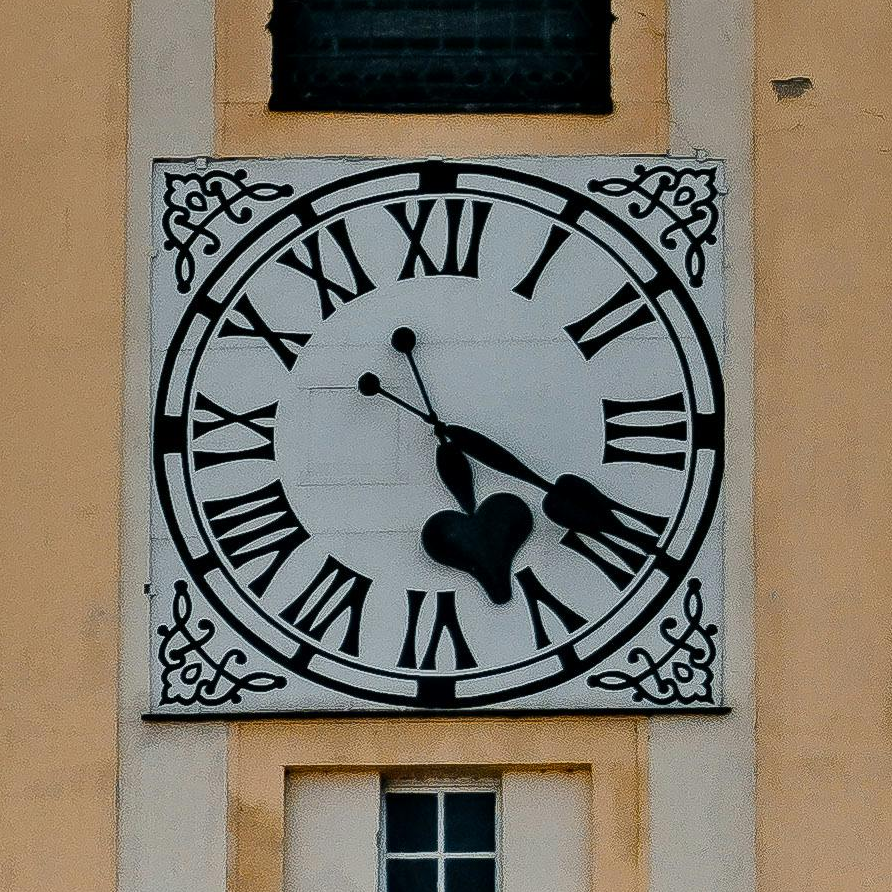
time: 5:19
